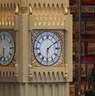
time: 6:09
